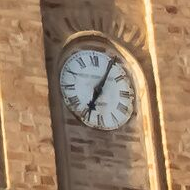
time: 7:05
